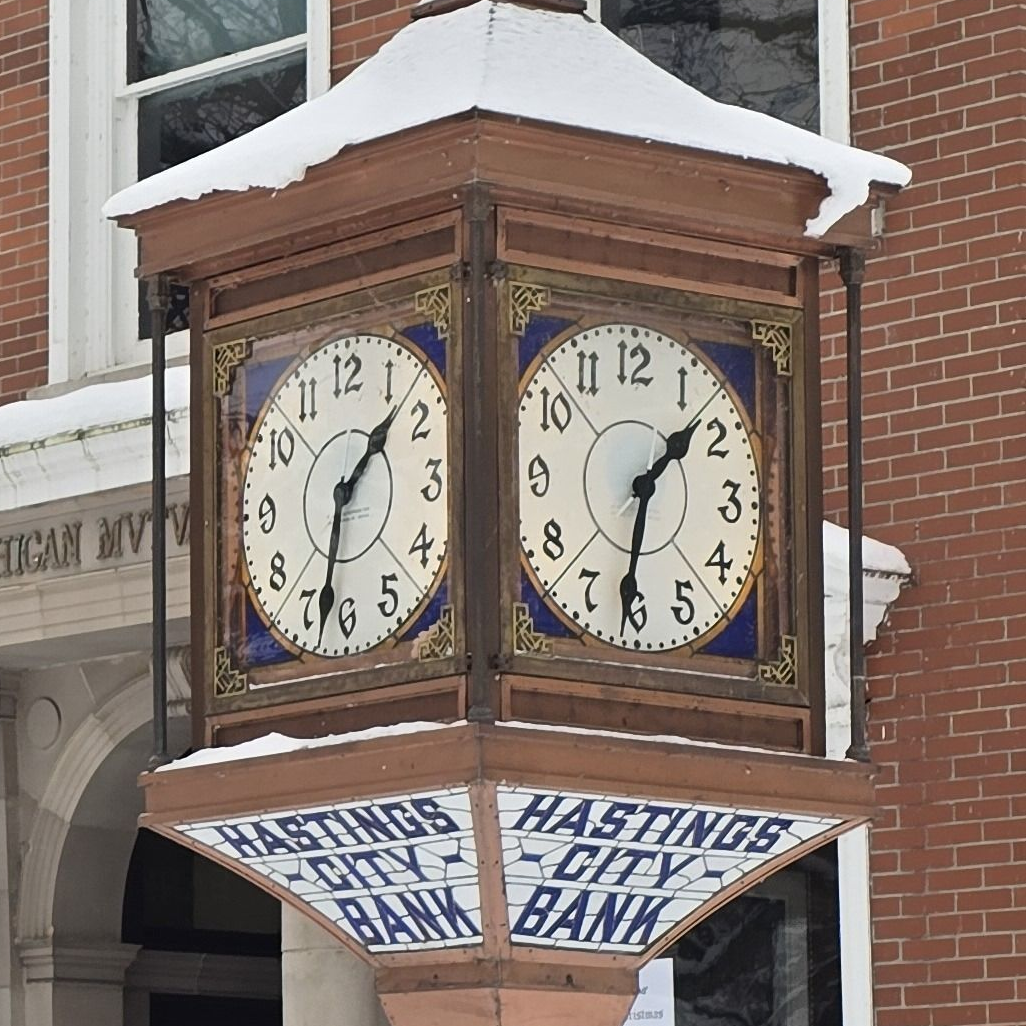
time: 1:32
